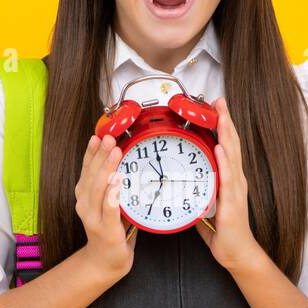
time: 6:59
